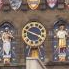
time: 3:47
